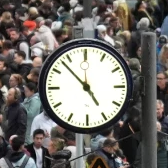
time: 4:52
